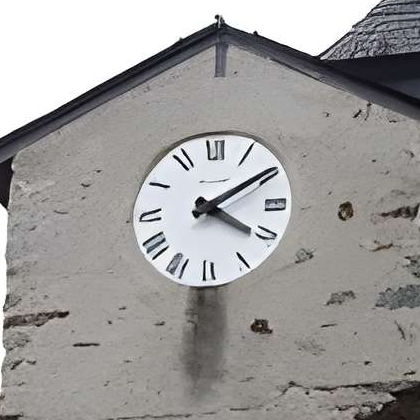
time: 4:09
